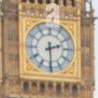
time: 2:29
